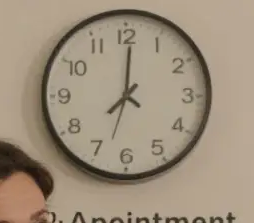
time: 8:00
